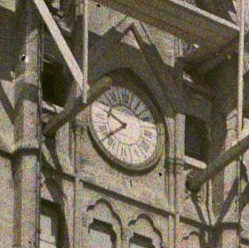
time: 9:38
